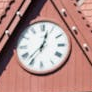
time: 12:37
